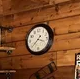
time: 3:37
